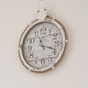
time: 11:18
